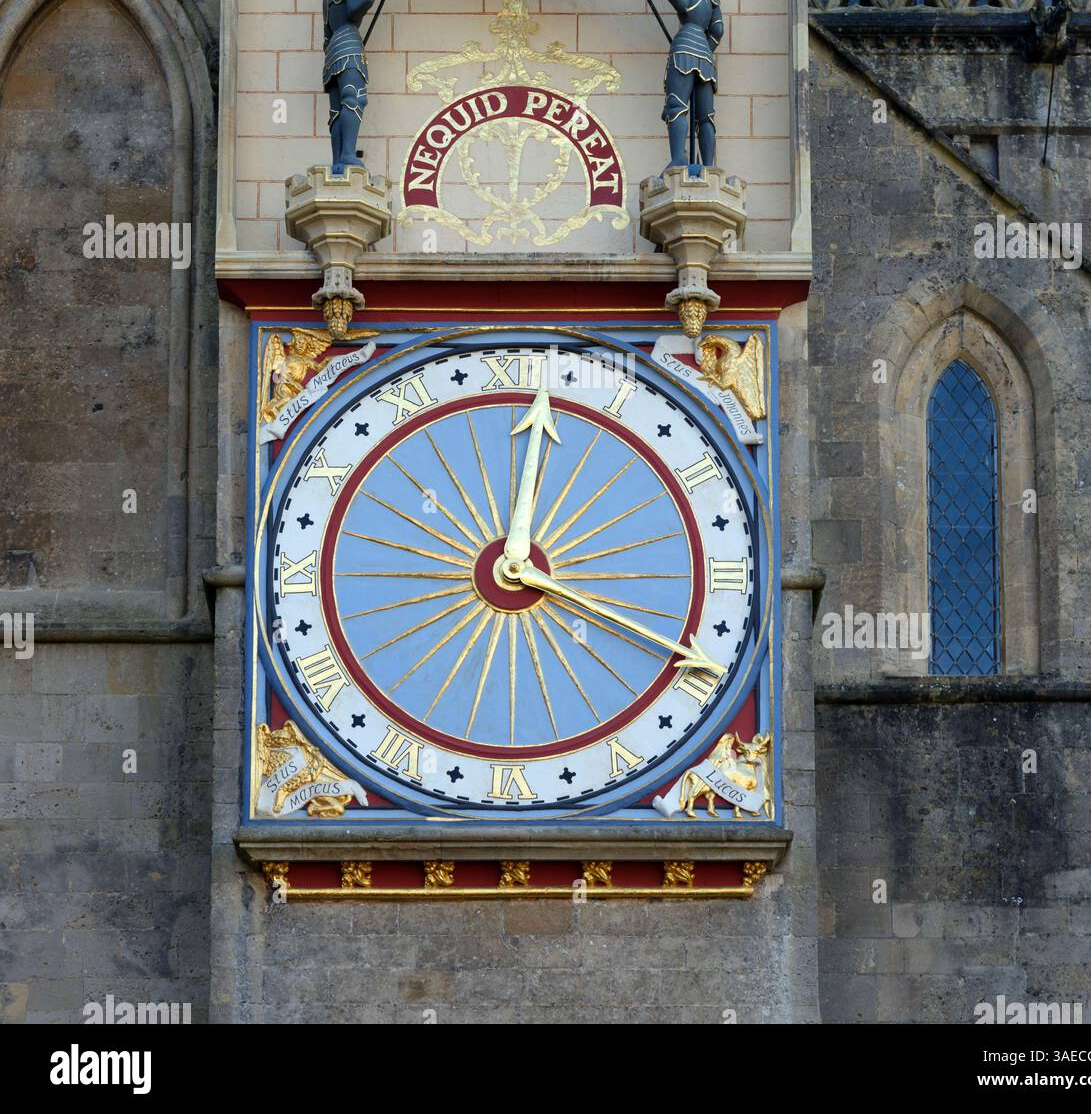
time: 12:17
